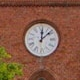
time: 12:08
